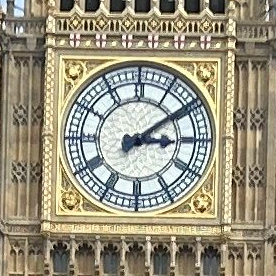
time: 3:09
